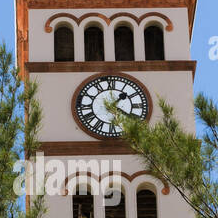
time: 1:20
